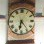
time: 6:23
